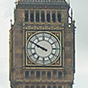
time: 9:49
